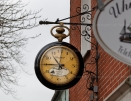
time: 10:45
